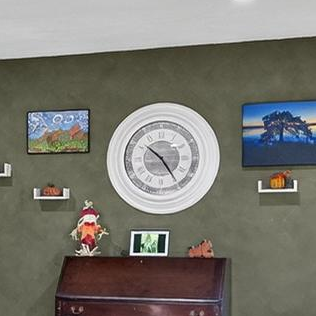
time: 10:24
